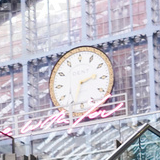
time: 2:33
